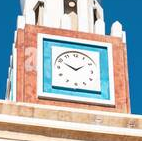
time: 1:49
